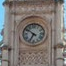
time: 6:51
